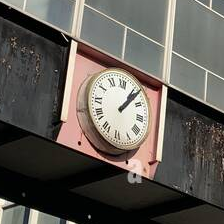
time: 1:06
